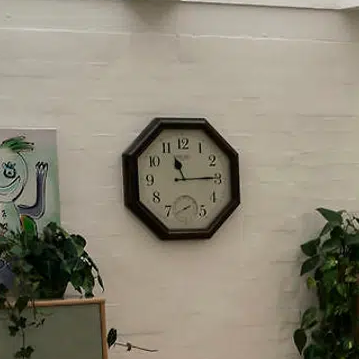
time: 11:14
